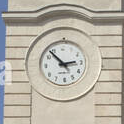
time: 2:53
